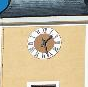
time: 1:27
